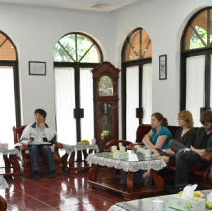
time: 6:00
